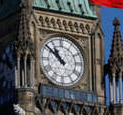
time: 10:51
